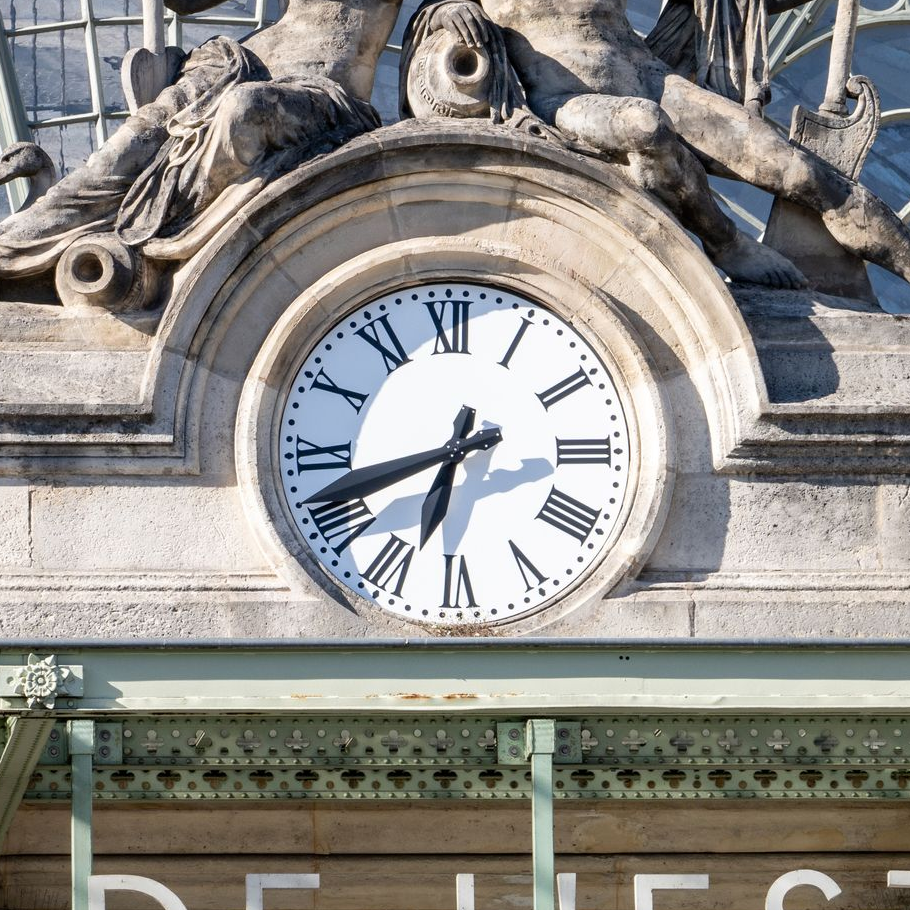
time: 6:41
